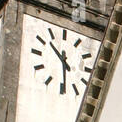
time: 10:28
